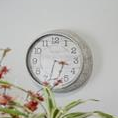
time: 3:33
